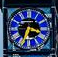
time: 3:34
